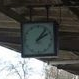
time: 2:06
